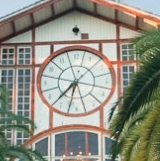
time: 7:32
